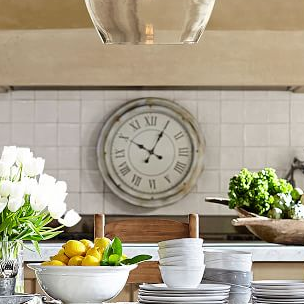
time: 10:04
